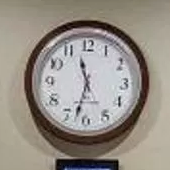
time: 11:32
